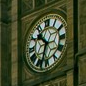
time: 10:33
